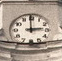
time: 2:59
